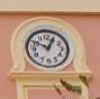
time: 12:49
